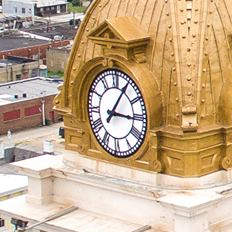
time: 3:05
